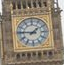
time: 1:46
